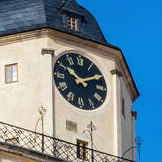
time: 10:10
